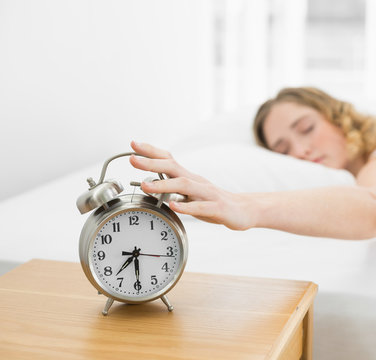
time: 7:29
